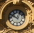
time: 12:49
